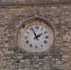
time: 1:56
